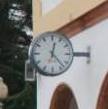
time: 12:23
